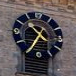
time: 10:35
